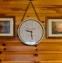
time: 9:28
